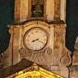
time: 8:19
